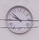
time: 9:51
